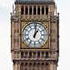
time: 1:01
